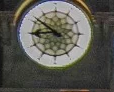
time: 8:51
